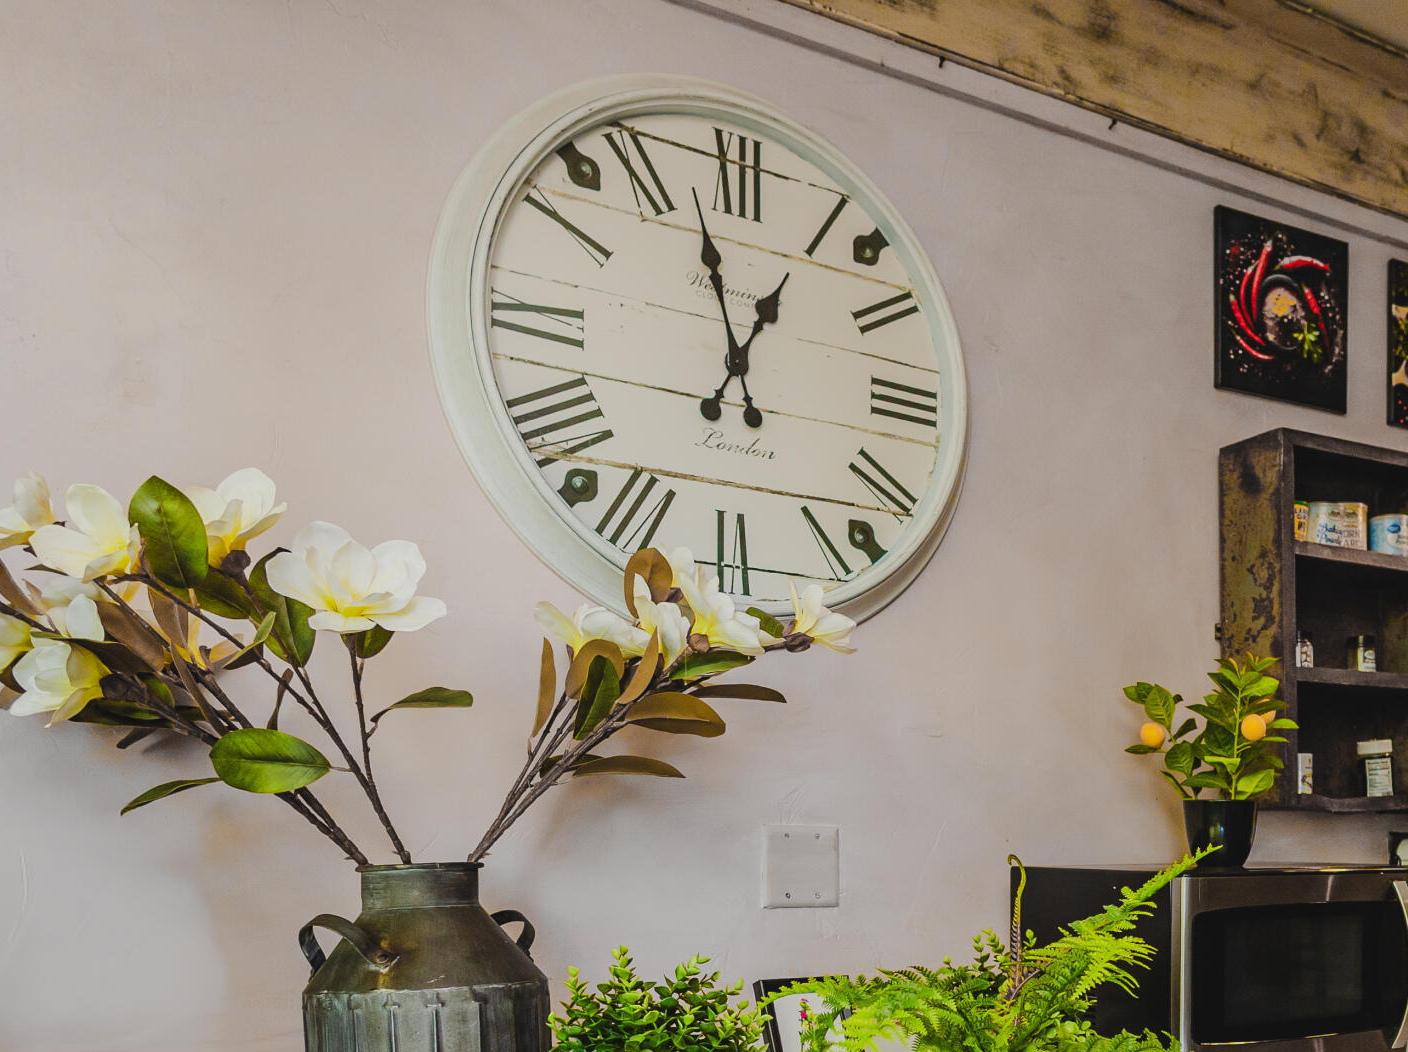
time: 12:57
